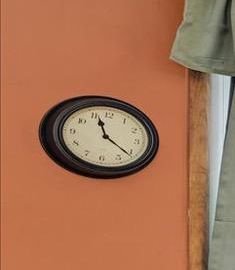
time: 11:21
